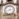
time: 4:42
